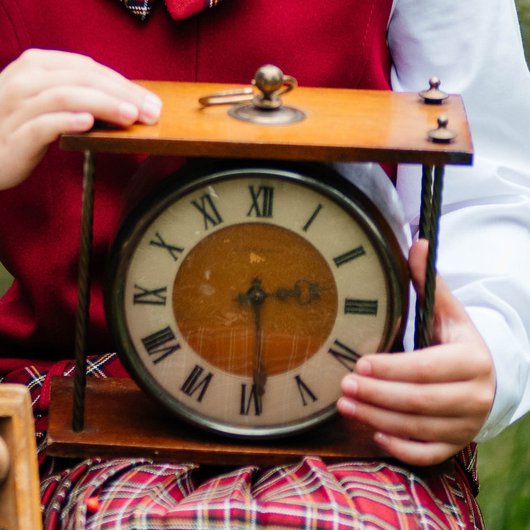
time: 2:29
